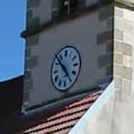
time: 4:52
